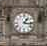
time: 1:16
